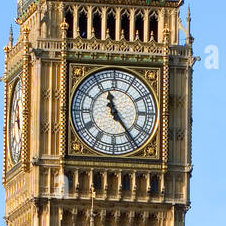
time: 11:23
